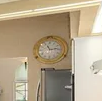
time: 11:13
